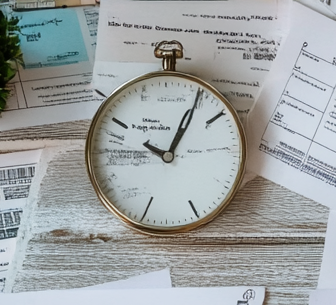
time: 10:05
